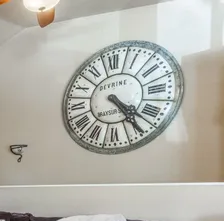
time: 4:23
